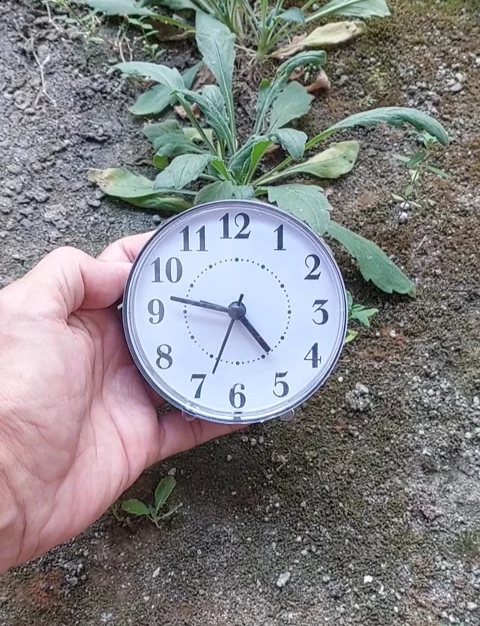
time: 4:46
